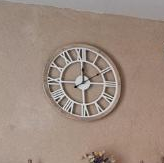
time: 12:09
